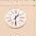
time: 1:30
